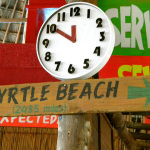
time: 11:50
